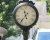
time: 11:36
